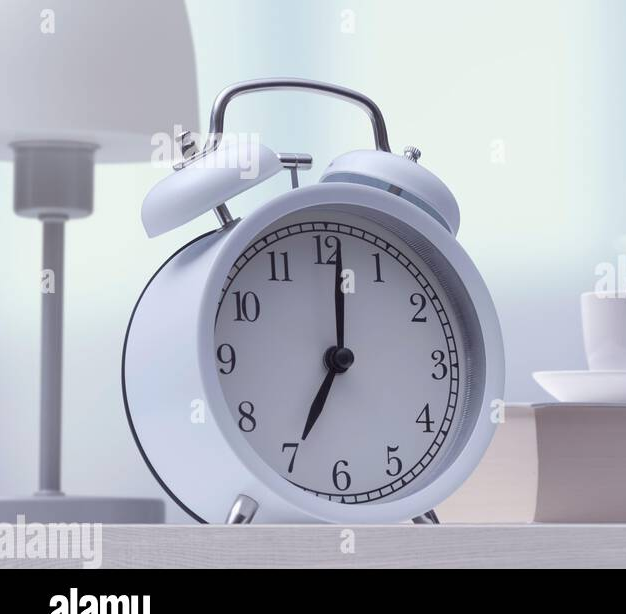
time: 7:01
